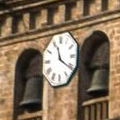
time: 11:20
